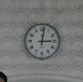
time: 3:01
